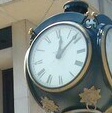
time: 12:08
